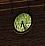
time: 6:25
